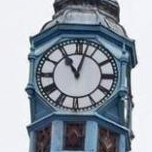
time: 11:02
